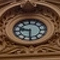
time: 9:30
